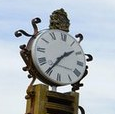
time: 1:35
